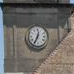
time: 12:34
